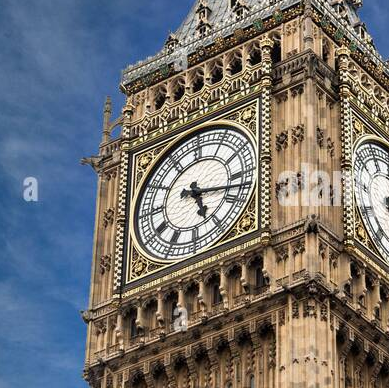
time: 5:17
